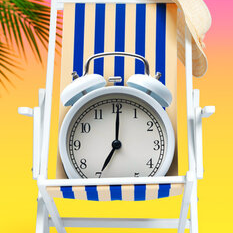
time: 7:00
